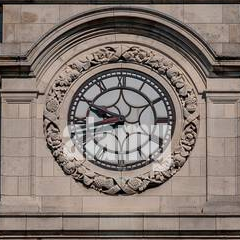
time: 8:48
